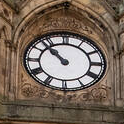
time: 10:52
